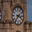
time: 3:36
